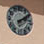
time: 2:09
